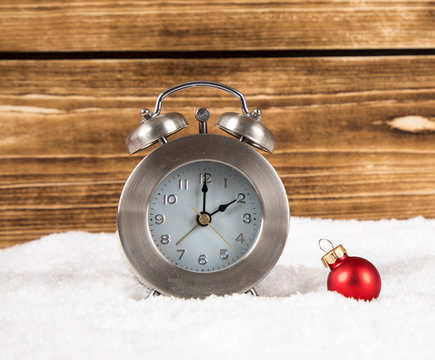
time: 2:00
